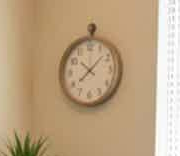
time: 10:07
